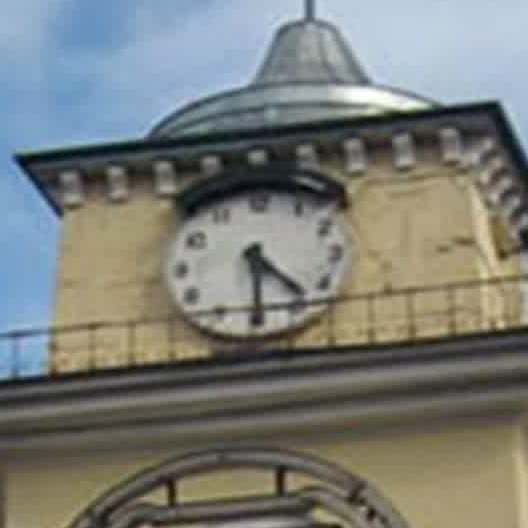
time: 4:29
